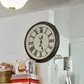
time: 12:27
